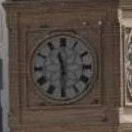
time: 11:29
